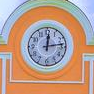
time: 12:13
